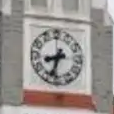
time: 8:33
